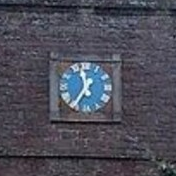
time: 11:35
